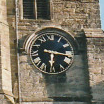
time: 6:16
